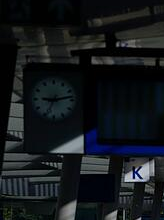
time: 9:13
